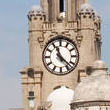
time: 11:22
